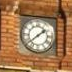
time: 1:38
